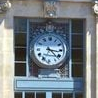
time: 3:22
